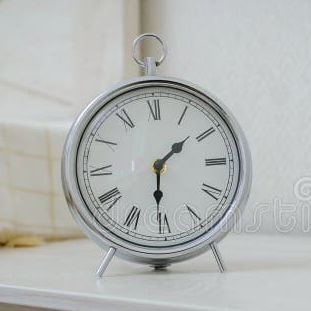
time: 1:30
